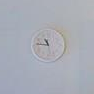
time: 10:45
